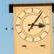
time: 3:06
